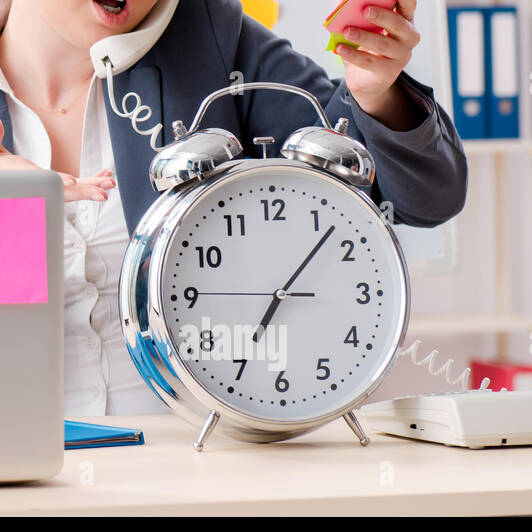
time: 7:07
